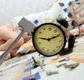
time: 9:10
